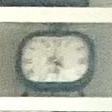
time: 4:29
